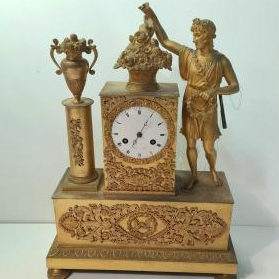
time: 7:04
